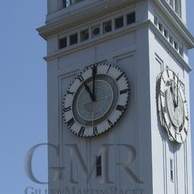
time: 11:00
